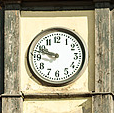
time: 9:47
